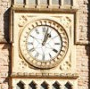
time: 1:02
